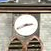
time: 2:40
